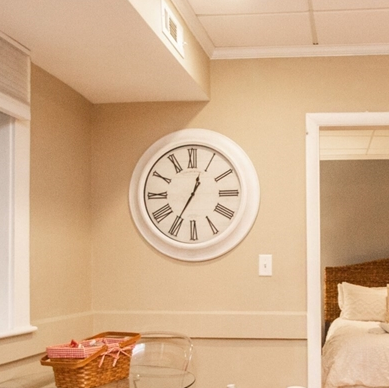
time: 12:35
